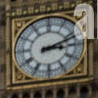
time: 3:11
